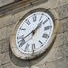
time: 1:41
